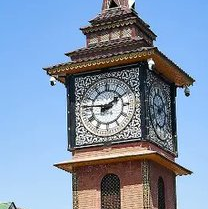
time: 1:46
